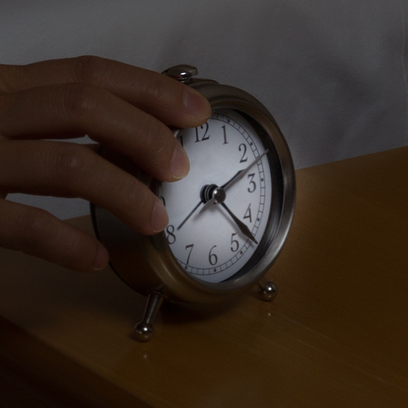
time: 2:22
